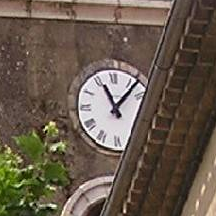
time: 11:07
